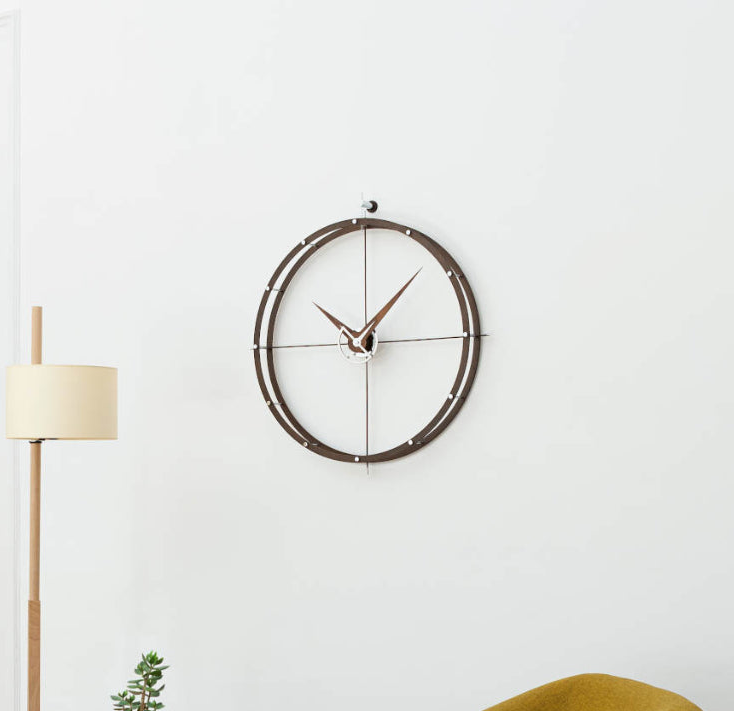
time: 10:07
